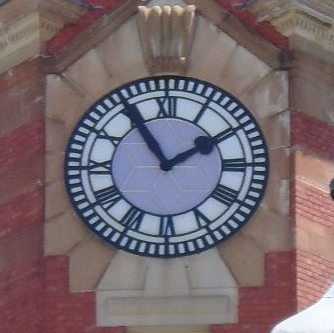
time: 1:54
